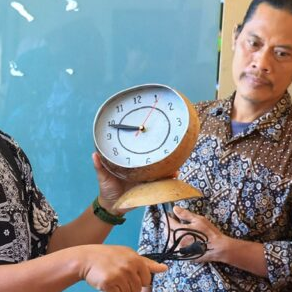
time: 9:48
